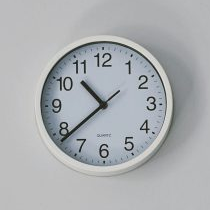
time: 10:38
